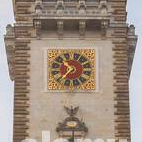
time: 10:36
